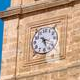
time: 5:18
